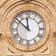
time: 11:51
